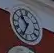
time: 10:34
